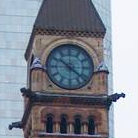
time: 10:21
